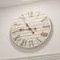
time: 10:45
